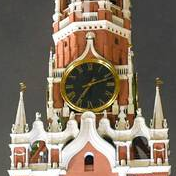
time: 7:11
